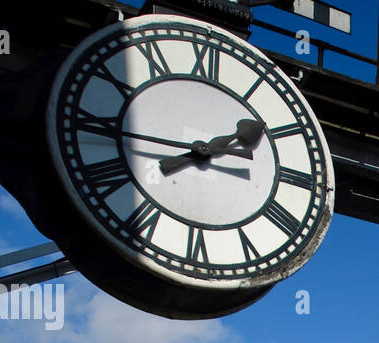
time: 1:44
